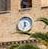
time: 5:32
